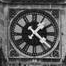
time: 1:22
